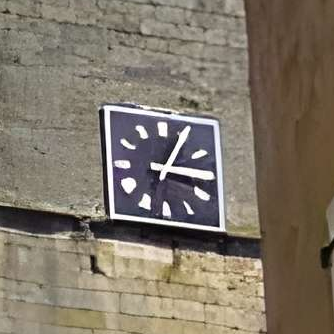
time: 3:05
